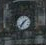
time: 7:08
